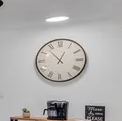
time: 12:53
